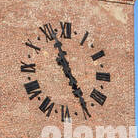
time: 4:56
